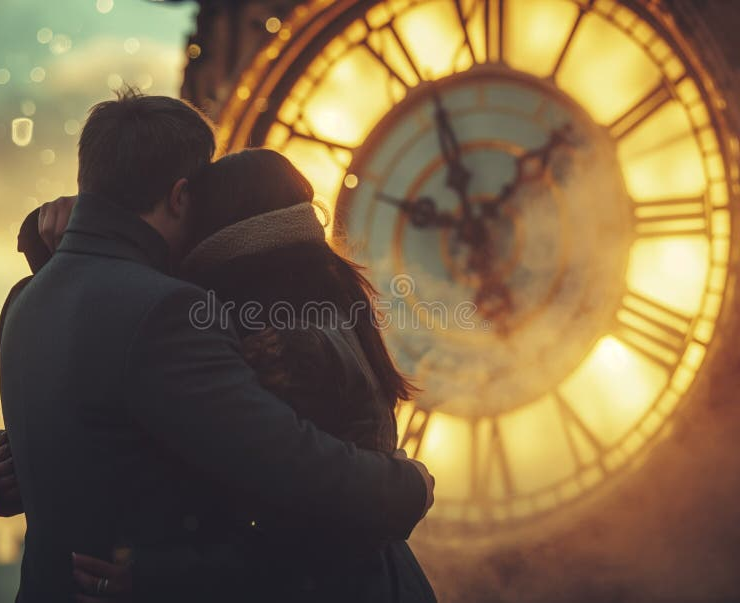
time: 1:56
